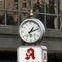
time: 1:11
